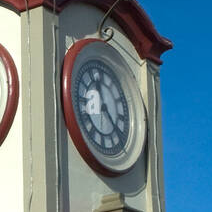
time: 11:21
